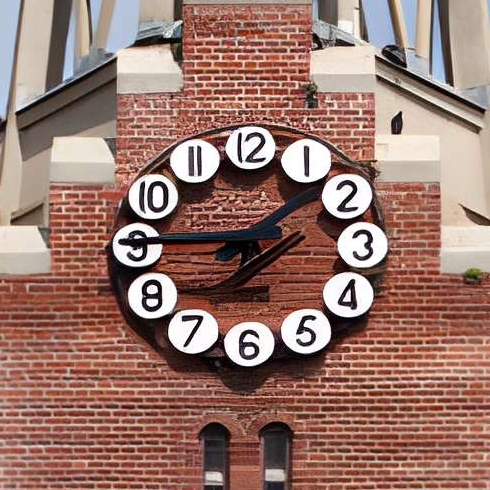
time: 1:45
